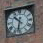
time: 10:32
